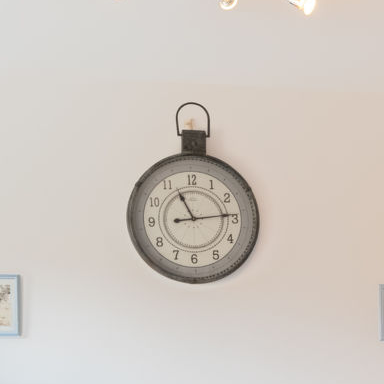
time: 11:14
